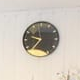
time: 9:36
